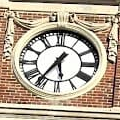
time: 5:36
